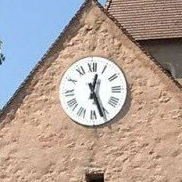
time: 12:26
